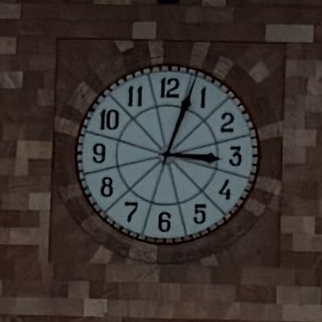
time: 3:03
